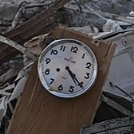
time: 4:20
